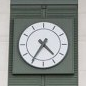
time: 4:35
